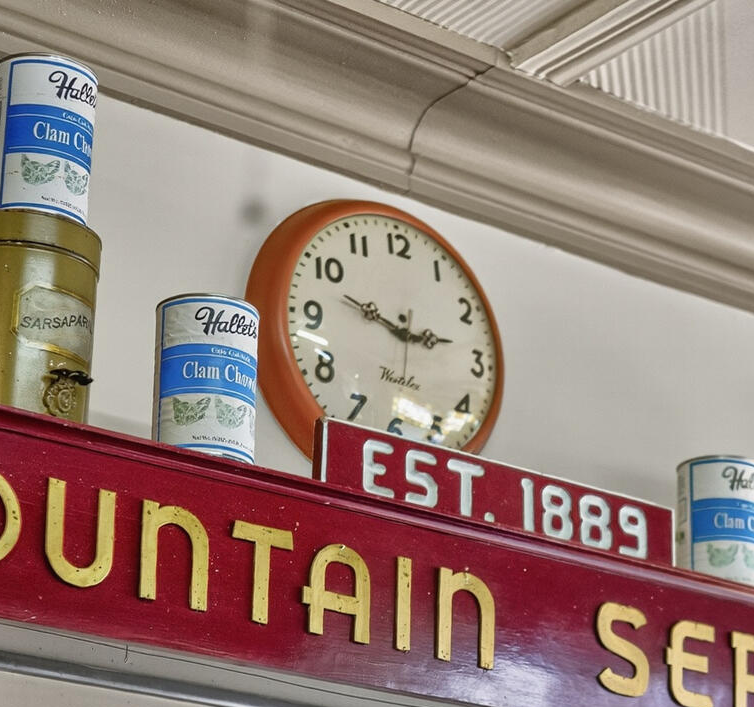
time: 2:48
